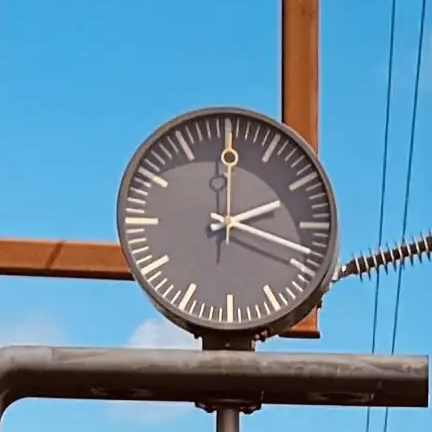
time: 2:18
